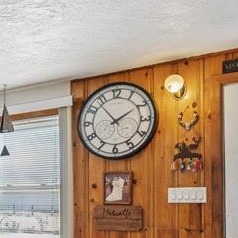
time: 1:53
